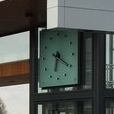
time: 6:20
